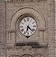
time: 6:22
